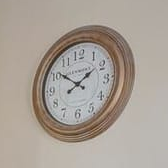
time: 1:50
